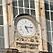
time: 5:14
